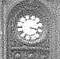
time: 3:17
